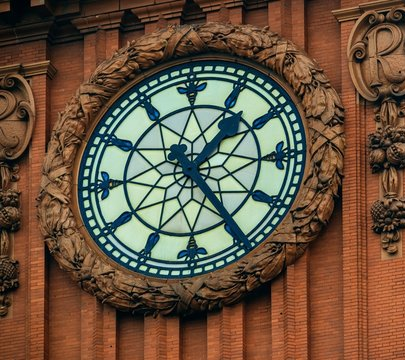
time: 1:24
